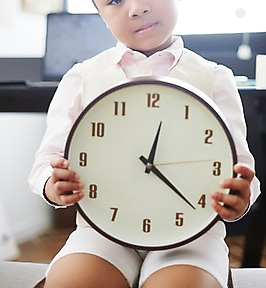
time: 12:21
